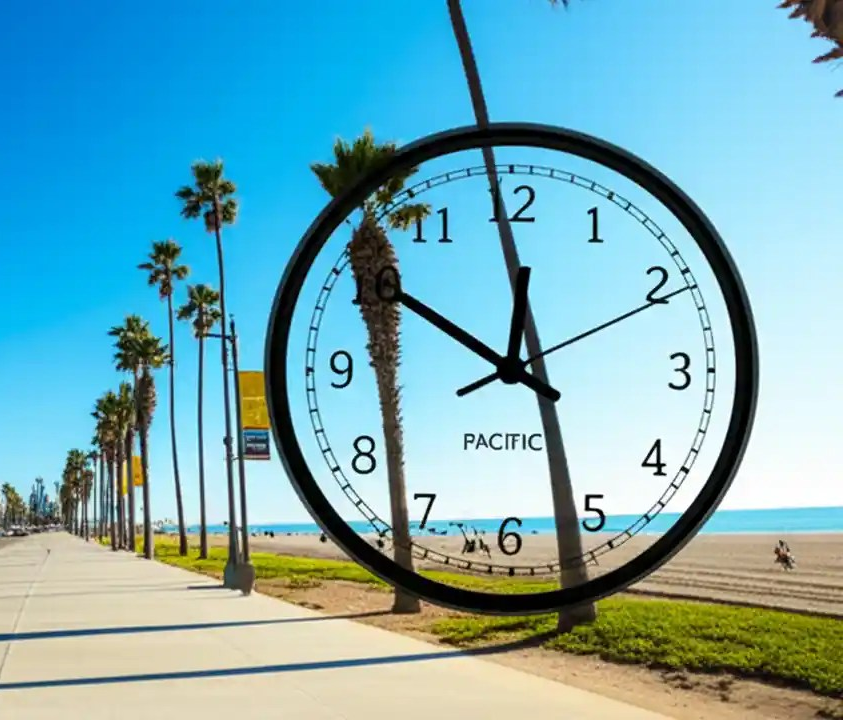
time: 11:50
